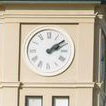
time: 2:09
